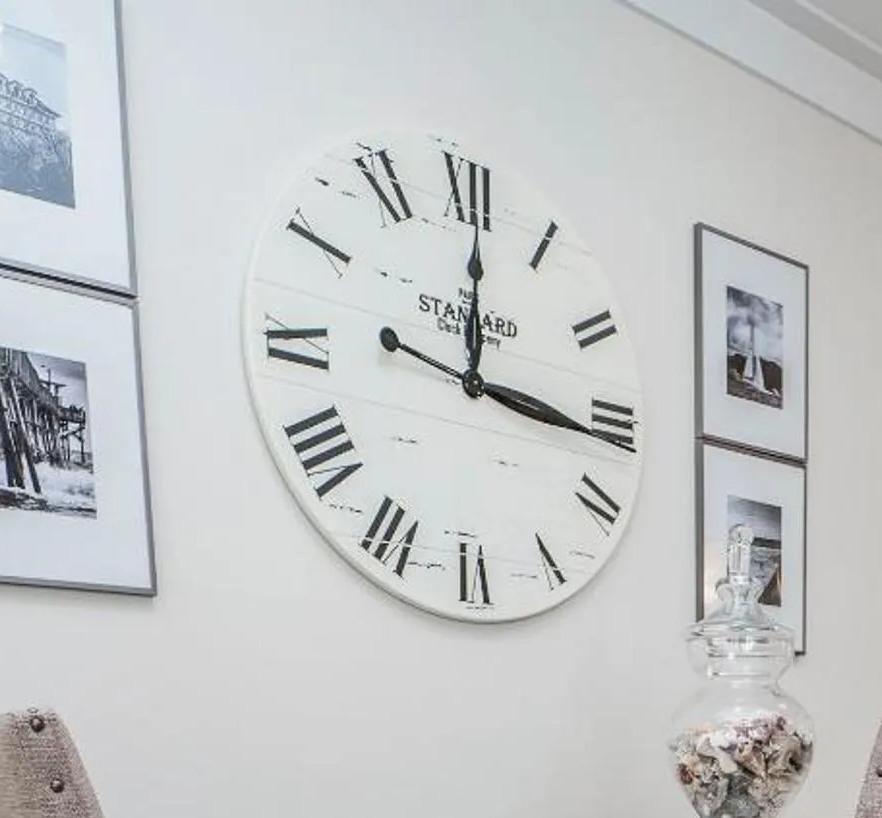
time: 12:16
